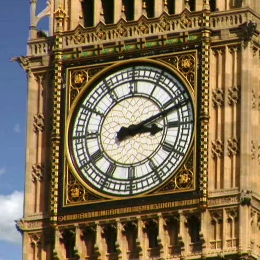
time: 3:11
